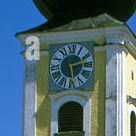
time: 2:29
